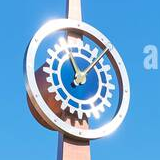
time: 11:07
